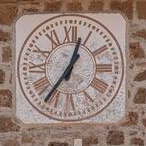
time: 12:36
